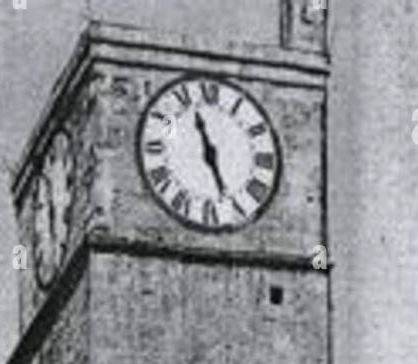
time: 11:26
